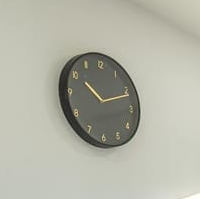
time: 10:11
